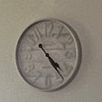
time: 4:23
